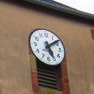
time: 5:08
